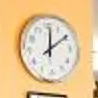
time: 12:09
